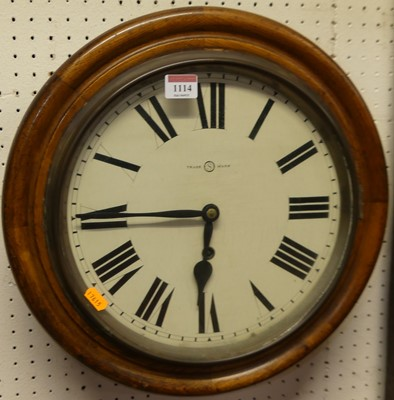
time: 5:45
